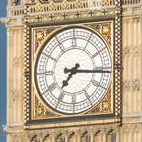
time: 7:15
